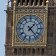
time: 1:22
